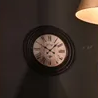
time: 10:07
